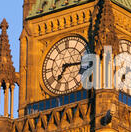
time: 7:15
